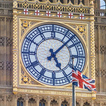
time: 5:07
